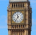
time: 11:35
